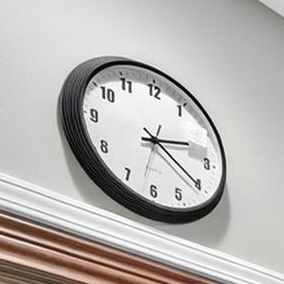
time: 2:20
